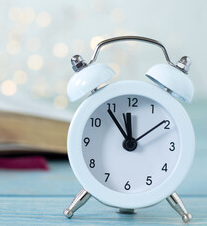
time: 11:54
